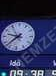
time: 9:38
